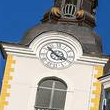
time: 3:52
